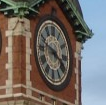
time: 3:48
